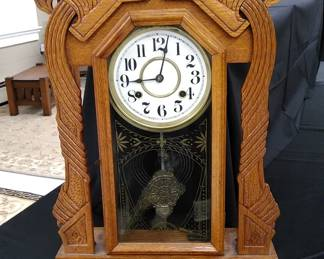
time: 9:01
